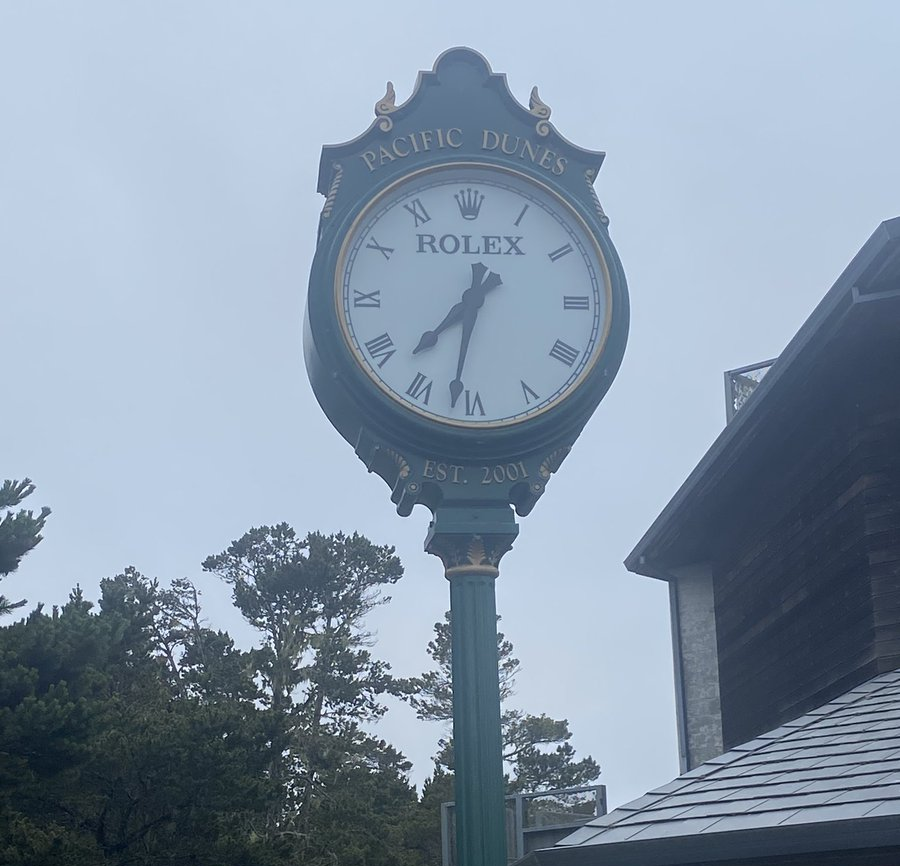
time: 7:32
